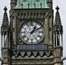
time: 1:10
